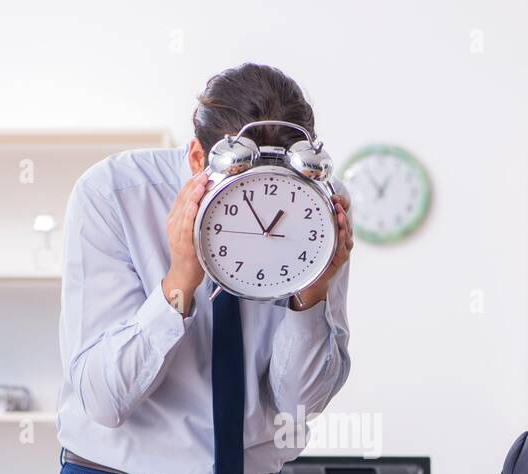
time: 12:54
